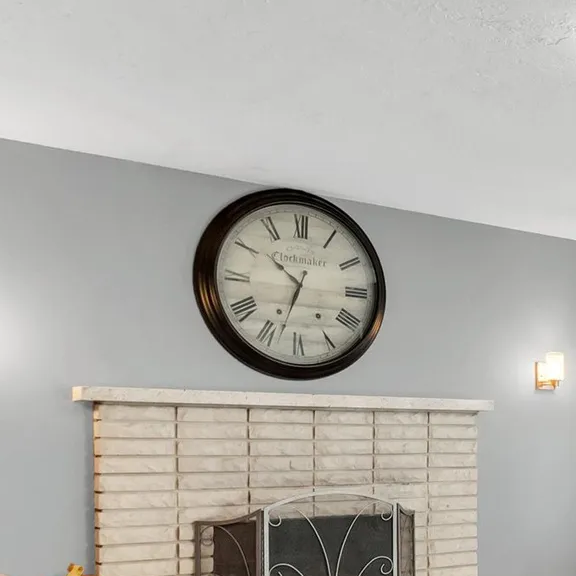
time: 10:33
